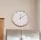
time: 12:09
